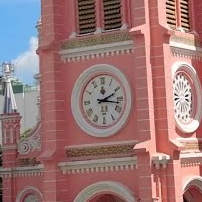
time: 2:17
